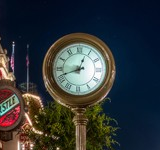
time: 12:41
